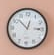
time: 12:52
